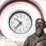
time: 10:37
